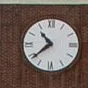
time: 10:38
